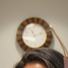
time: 11:12
